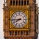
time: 7:44
